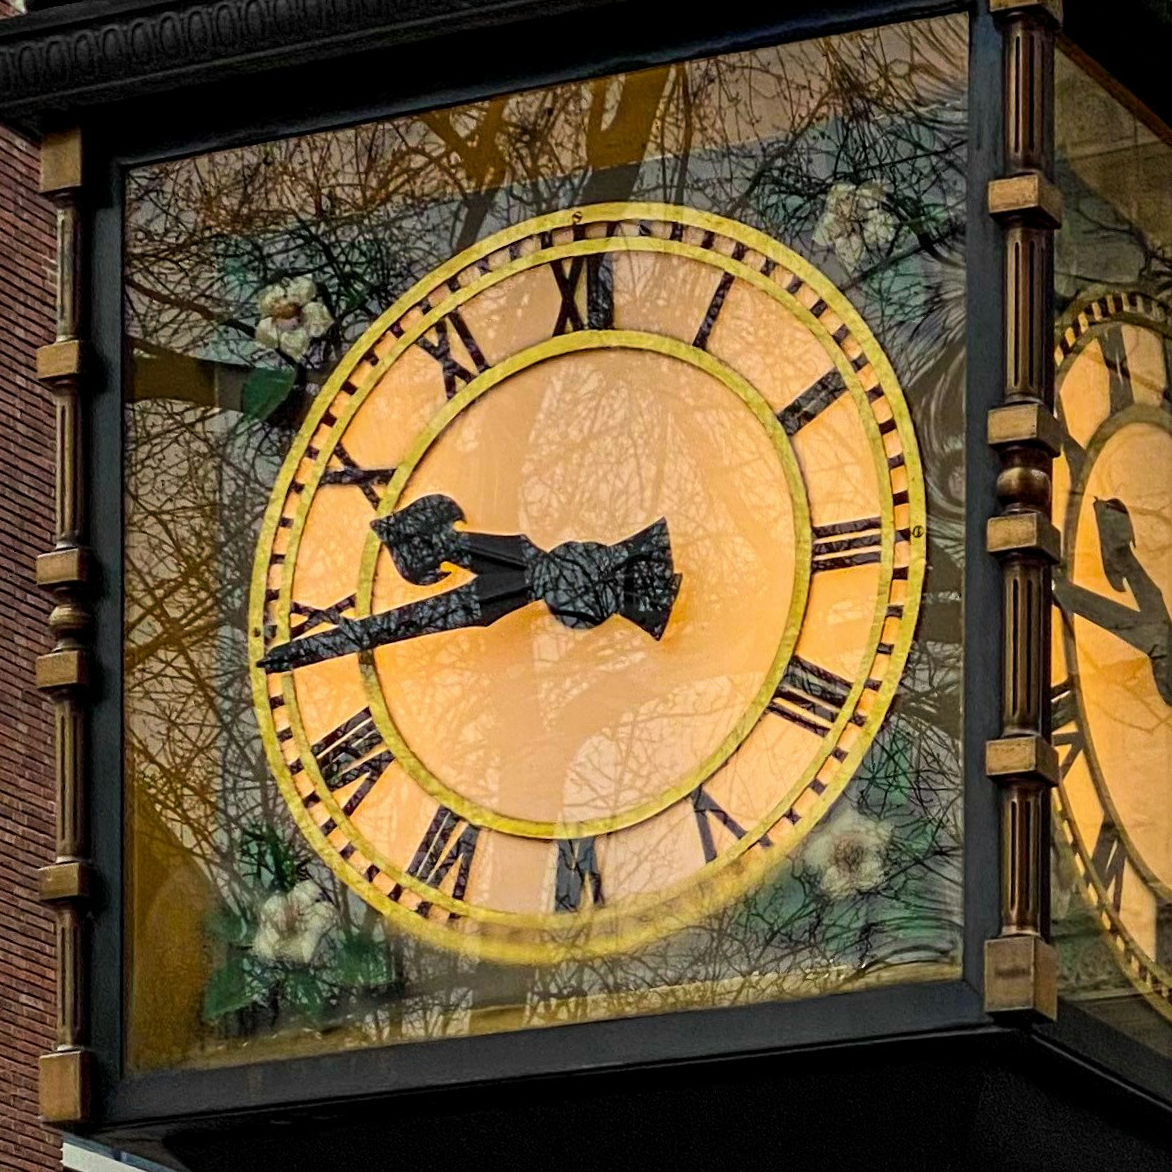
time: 9:44
